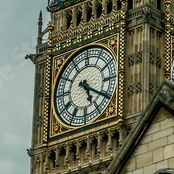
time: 5:20
